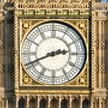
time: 2:41
